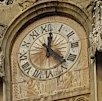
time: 12:22
